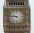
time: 9:45
